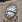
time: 9:20
